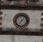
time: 7:07
